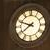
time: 7:48
